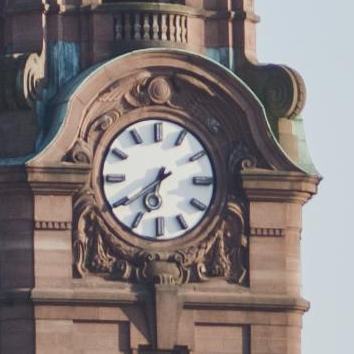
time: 6:39
